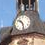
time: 10:28
